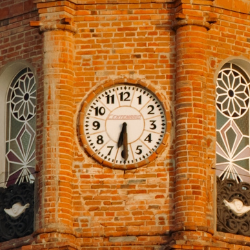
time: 6:29
